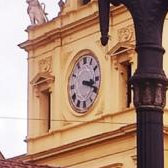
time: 3:19
